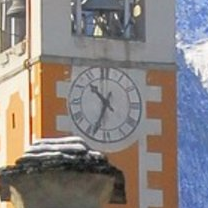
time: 10:34
